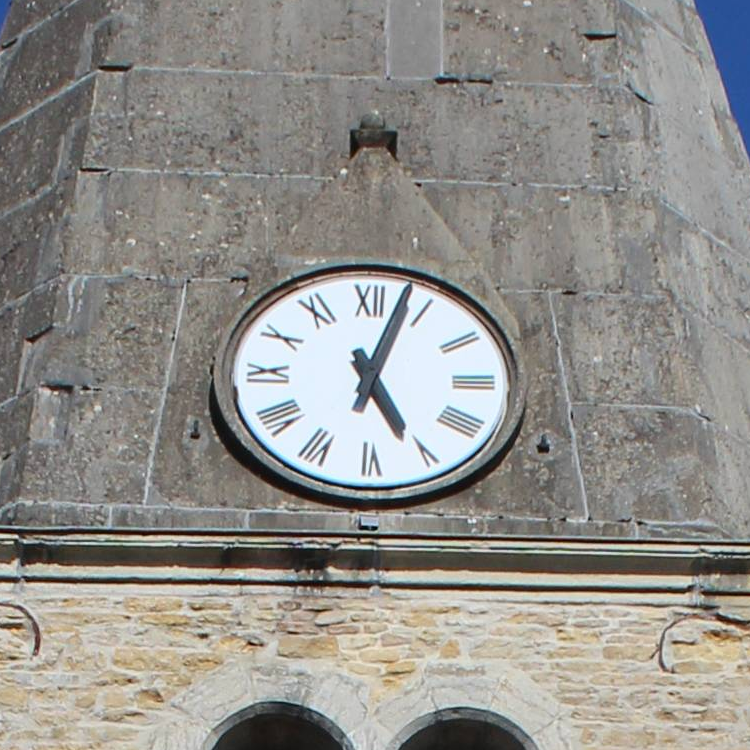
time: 5:03
